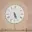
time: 5:26
